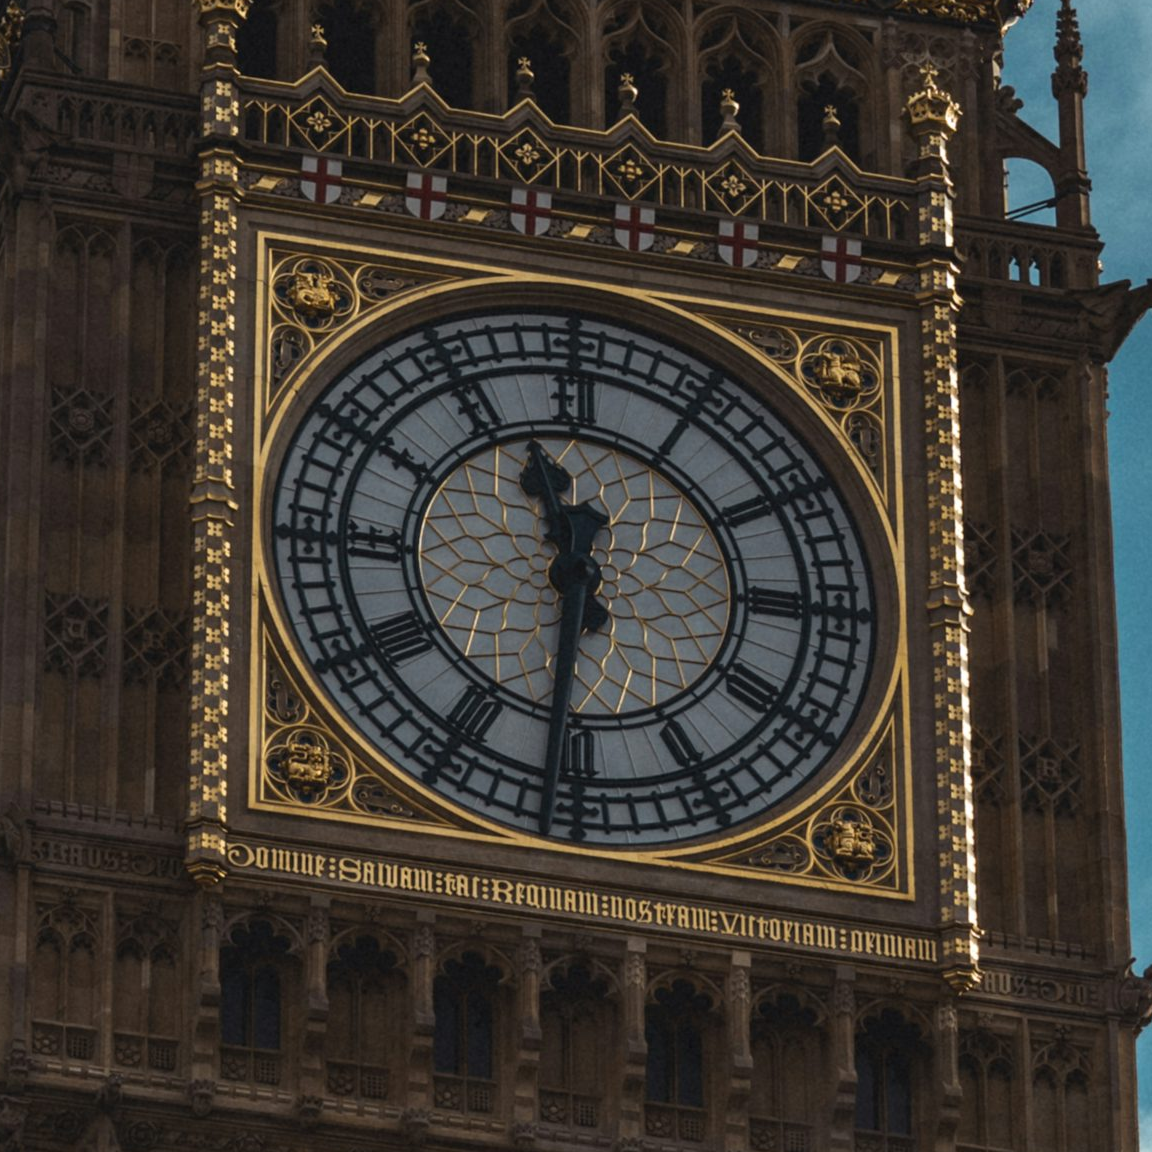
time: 11:31
